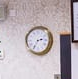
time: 2:35
